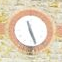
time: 11:26
